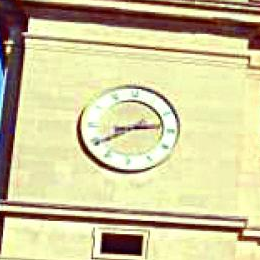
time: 2:40
